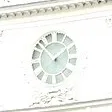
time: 1:52
